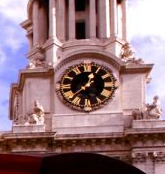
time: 12:37
